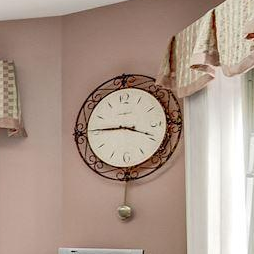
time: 3:45
